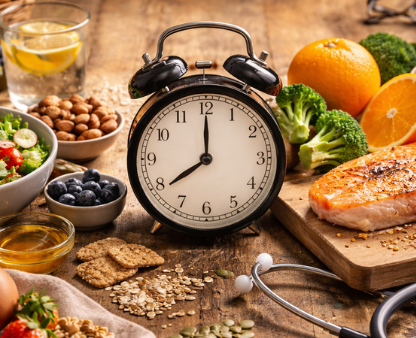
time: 8:00
